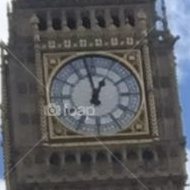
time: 12:58
